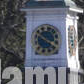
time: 3:50
